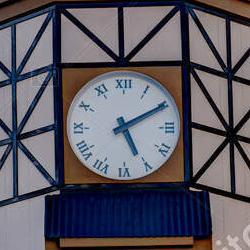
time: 5:10
